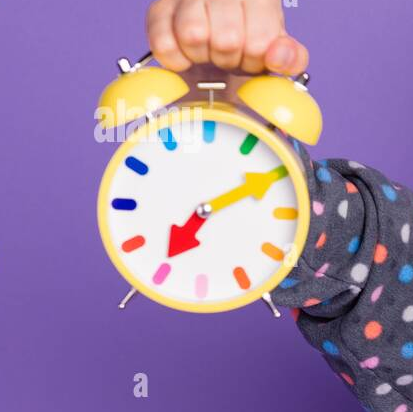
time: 7:10
